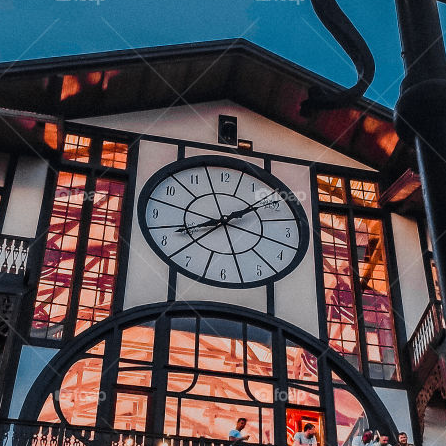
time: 8:09
